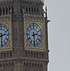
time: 2:29
